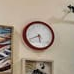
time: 5:40
